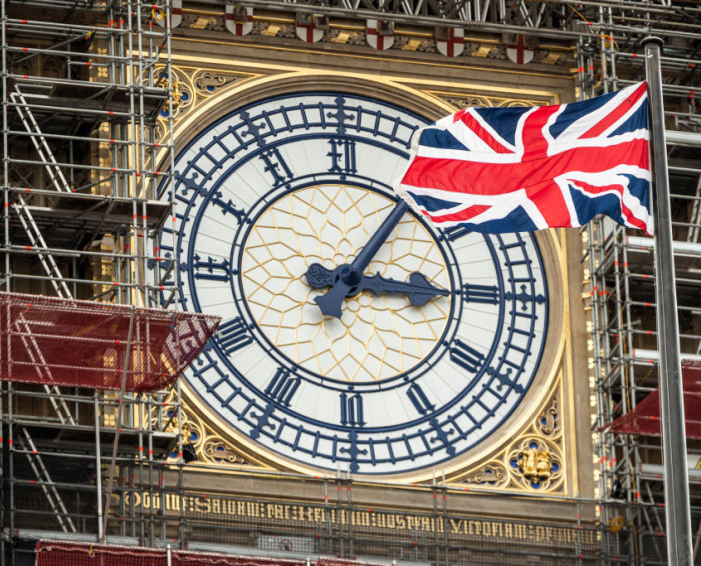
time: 3:05
